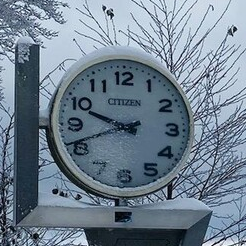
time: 9:41
